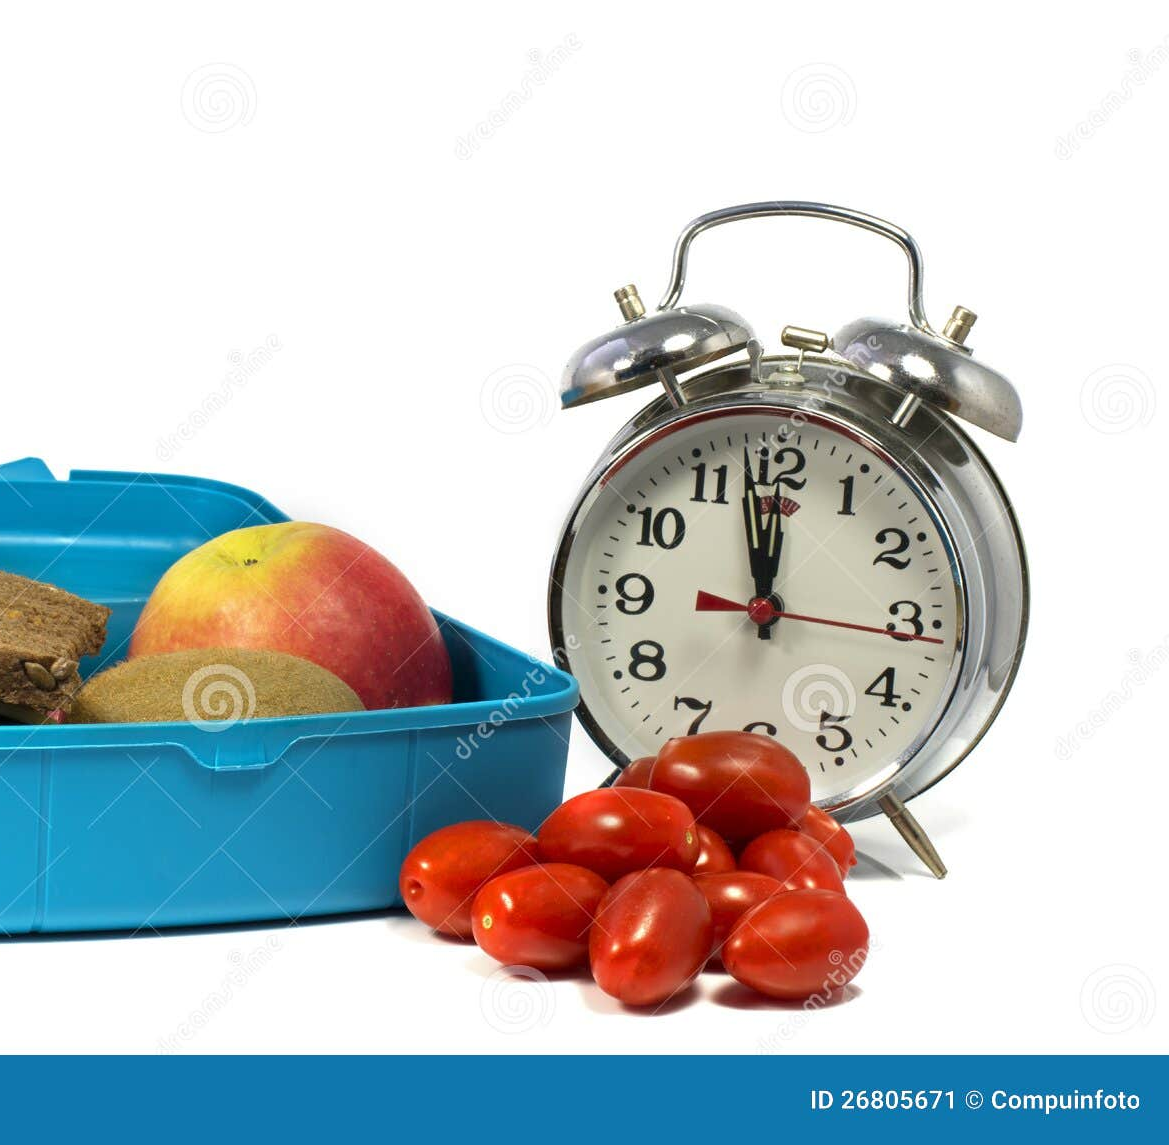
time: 11:57
